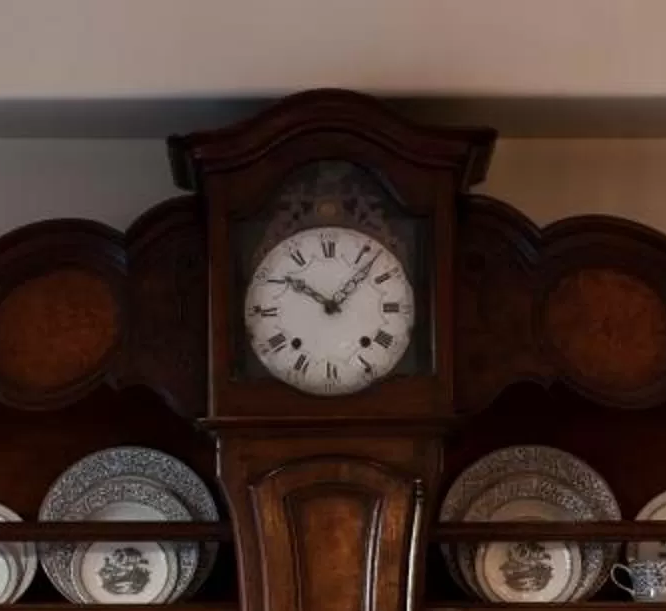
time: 10:07
